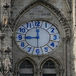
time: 8:59
